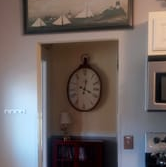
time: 12:18
